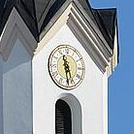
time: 11:28
